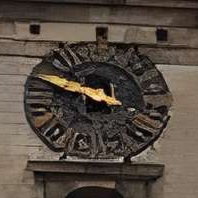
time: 9:48
